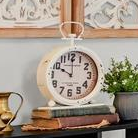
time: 10:00
